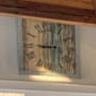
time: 9:01
